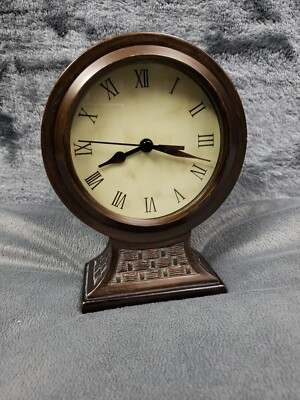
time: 8:17
